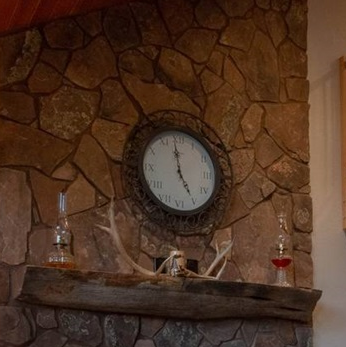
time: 4:59
